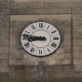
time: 8:46
